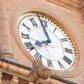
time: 7:58
